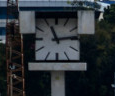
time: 11:13
